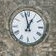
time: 12:57
